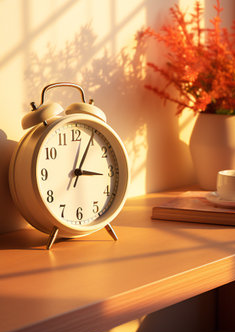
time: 3:04
